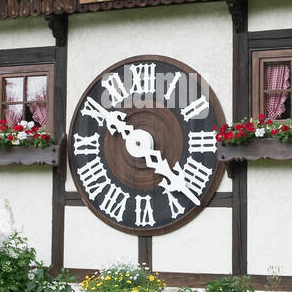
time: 4:49
